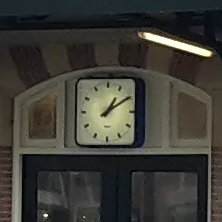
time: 1:09
